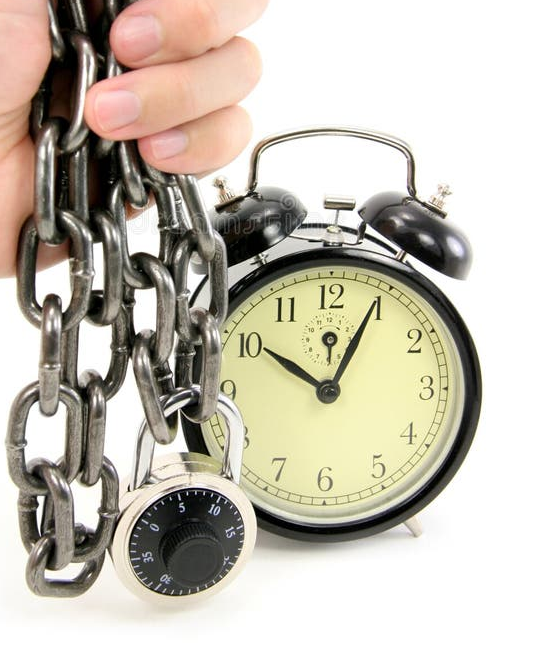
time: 10:04
